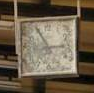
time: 2:54
